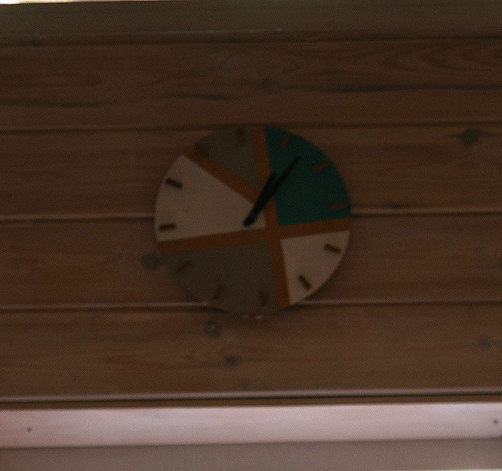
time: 1:07
